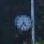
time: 4:36
